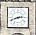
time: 2:41
